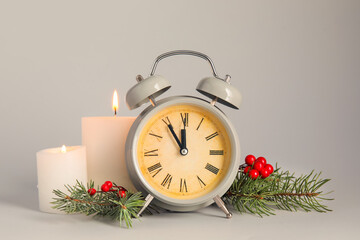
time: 11:54
